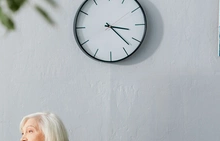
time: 3:22
